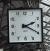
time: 2:19
